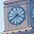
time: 3:39
